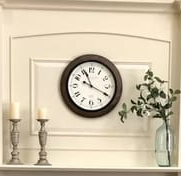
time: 11:19
